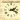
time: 2:18
